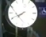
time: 7:40
